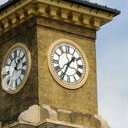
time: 1:34
